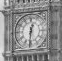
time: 12:30
